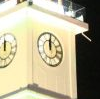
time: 12:00
